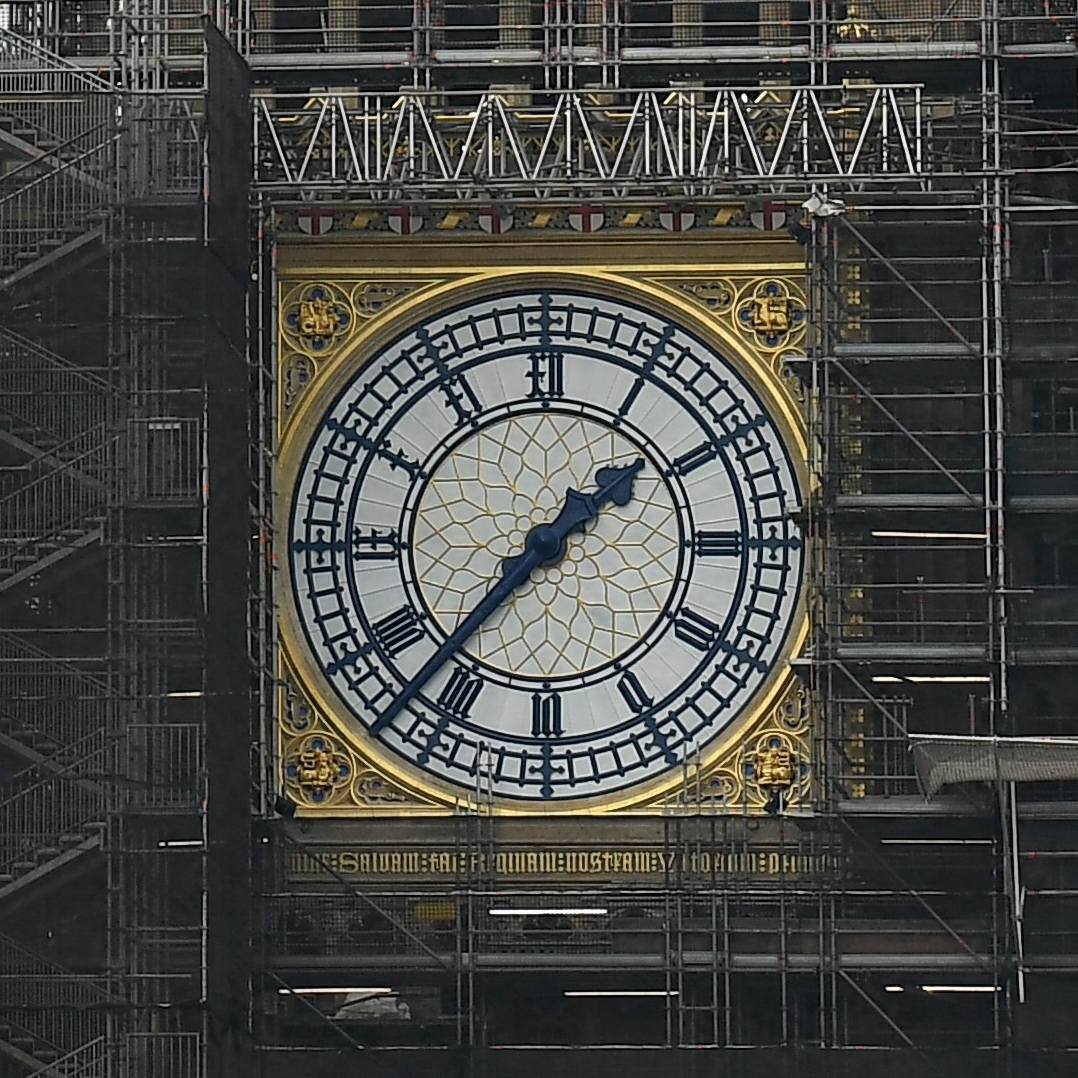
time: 1:36
